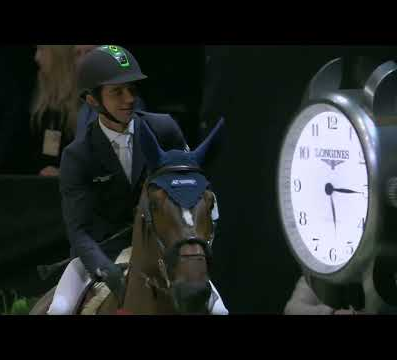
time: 5:15
